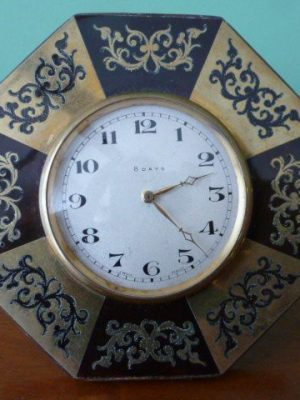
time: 2:22
